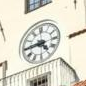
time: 4:44
